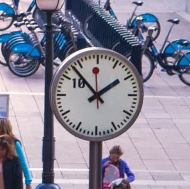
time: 1:52
